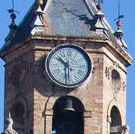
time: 10:30
